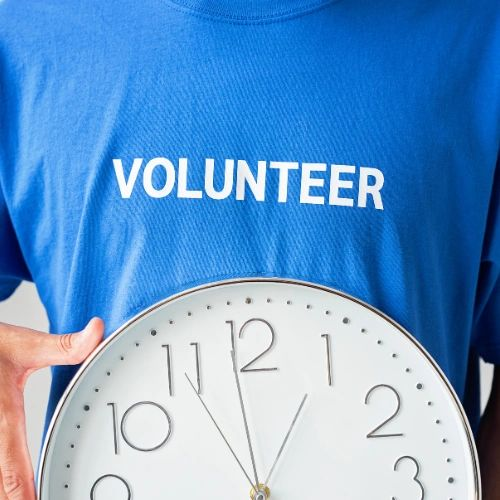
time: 12:58
